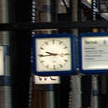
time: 9:44
